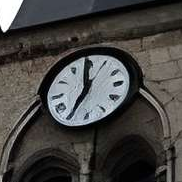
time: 6:59
